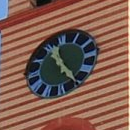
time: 11:24
